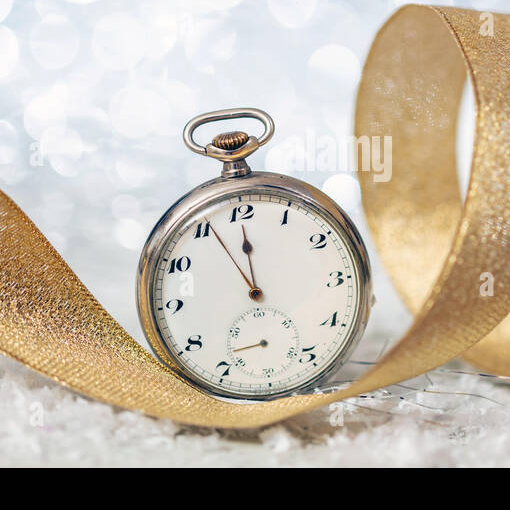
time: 11:55
